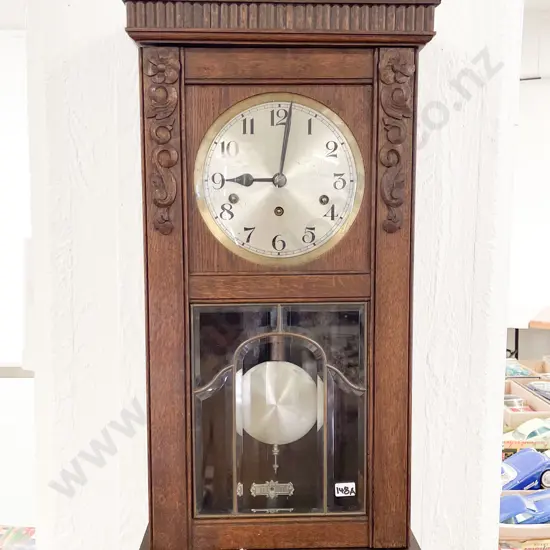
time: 9:01
